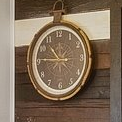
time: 10:45
